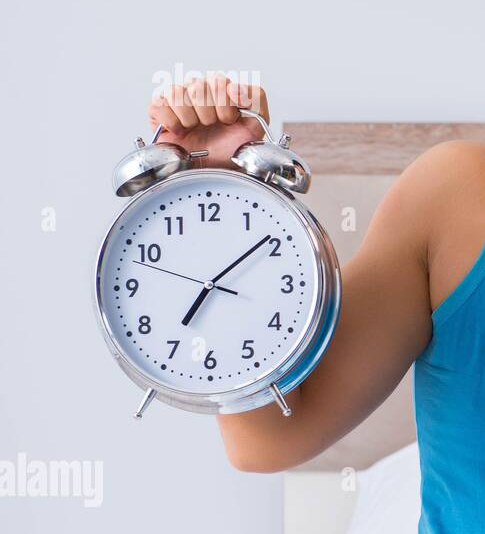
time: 7:08
